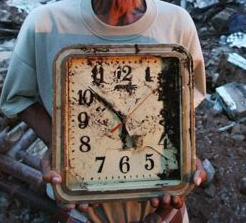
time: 5:51
